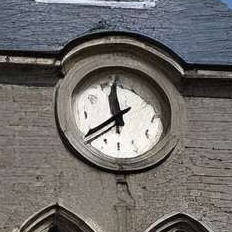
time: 11:39
